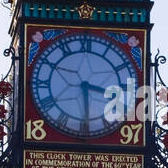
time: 3:29
